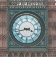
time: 3:42
